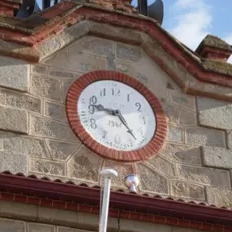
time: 9:23
